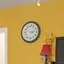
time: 3:12
